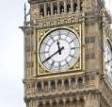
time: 11:40
